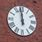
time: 11:58
